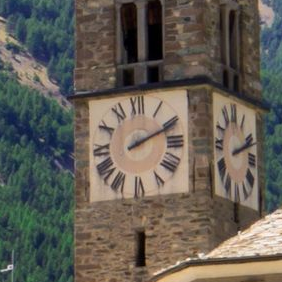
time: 2:10
